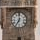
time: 7:00
